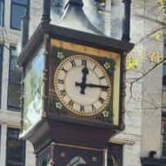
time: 12:14
